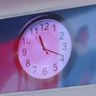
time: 11:18
